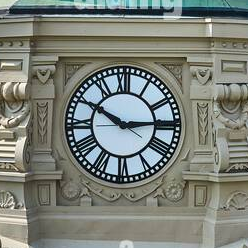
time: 2:49
